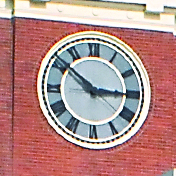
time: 2:51
